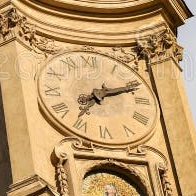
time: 7:11
